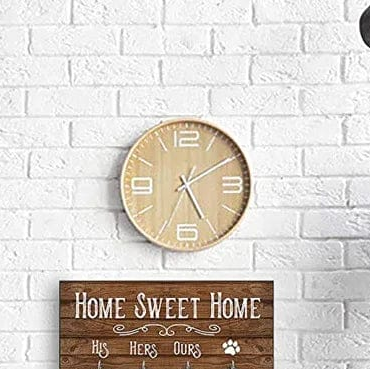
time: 5:09
